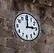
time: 3:00
